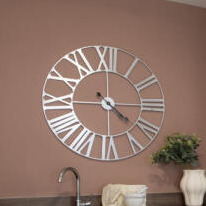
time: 4:14
